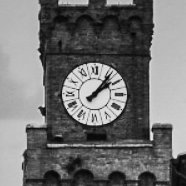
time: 2:06
